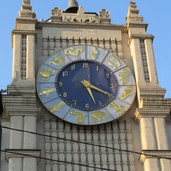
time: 5:19
